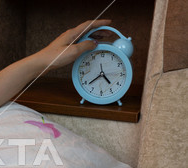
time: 4:38
